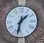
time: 1:32
